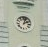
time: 2:03
